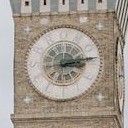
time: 3:13
